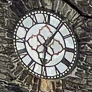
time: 6:06
